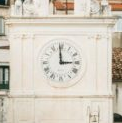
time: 2:59
